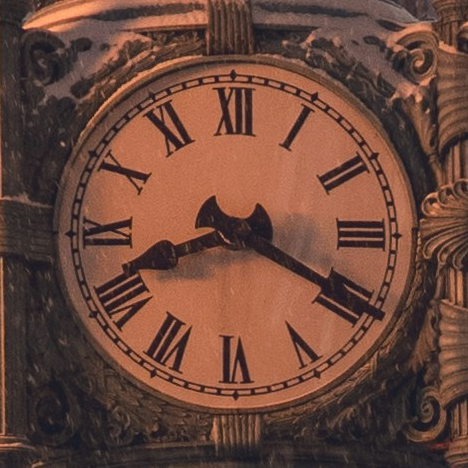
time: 8:19
